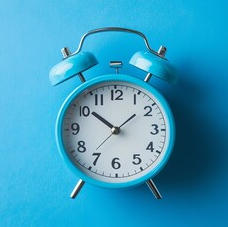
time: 1:51
